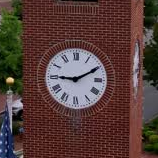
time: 9:10
